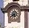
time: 5:40
